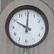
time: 10:00
